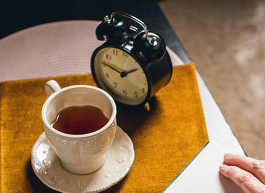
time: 1:46
